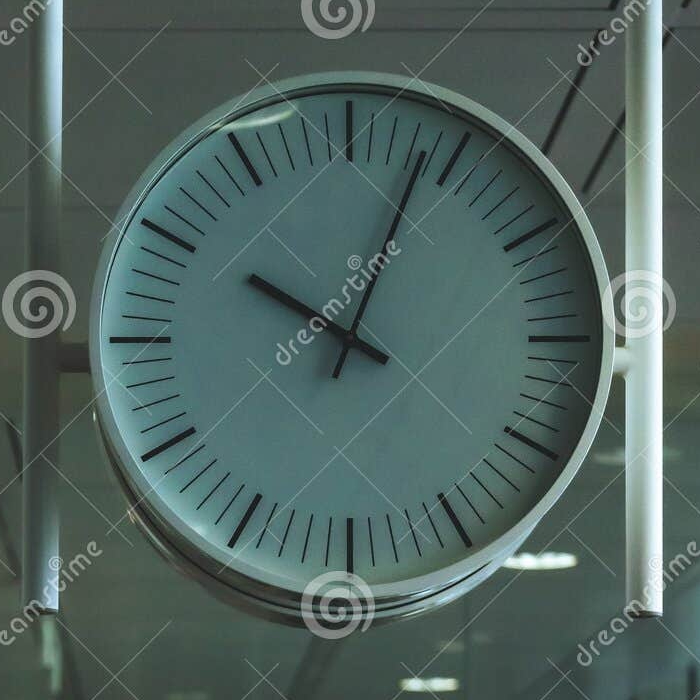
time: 10:03
